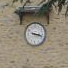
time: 3:17
